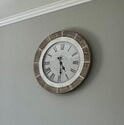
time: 4:29
